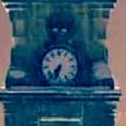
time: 7:33
